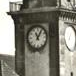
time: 11:05
